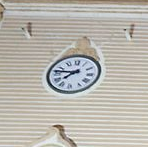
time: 7:46
